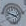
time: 3:47
